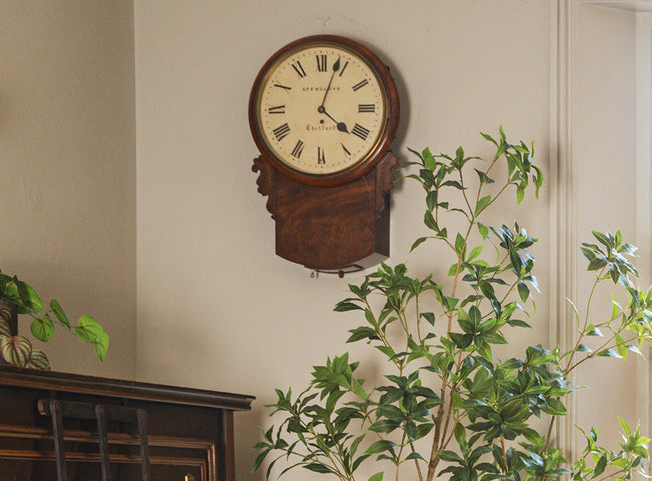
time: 4:03
